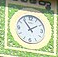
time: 1:53
